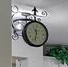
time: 11:32
